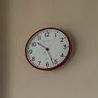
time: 10:26
